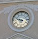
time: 9:48
